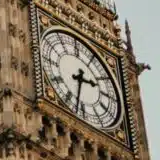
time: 2:32
